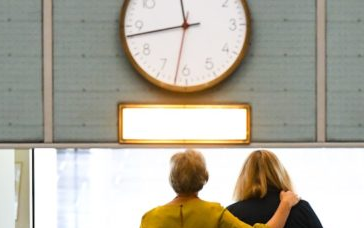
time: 11:43
